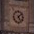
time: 5:07
